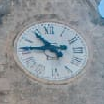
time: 10:45
